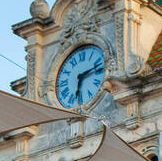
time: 6:12
